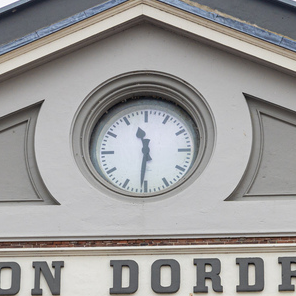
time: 11:31
